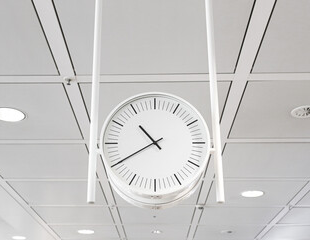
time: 10:40
